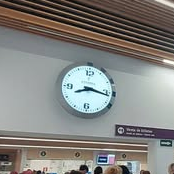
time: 8:16
